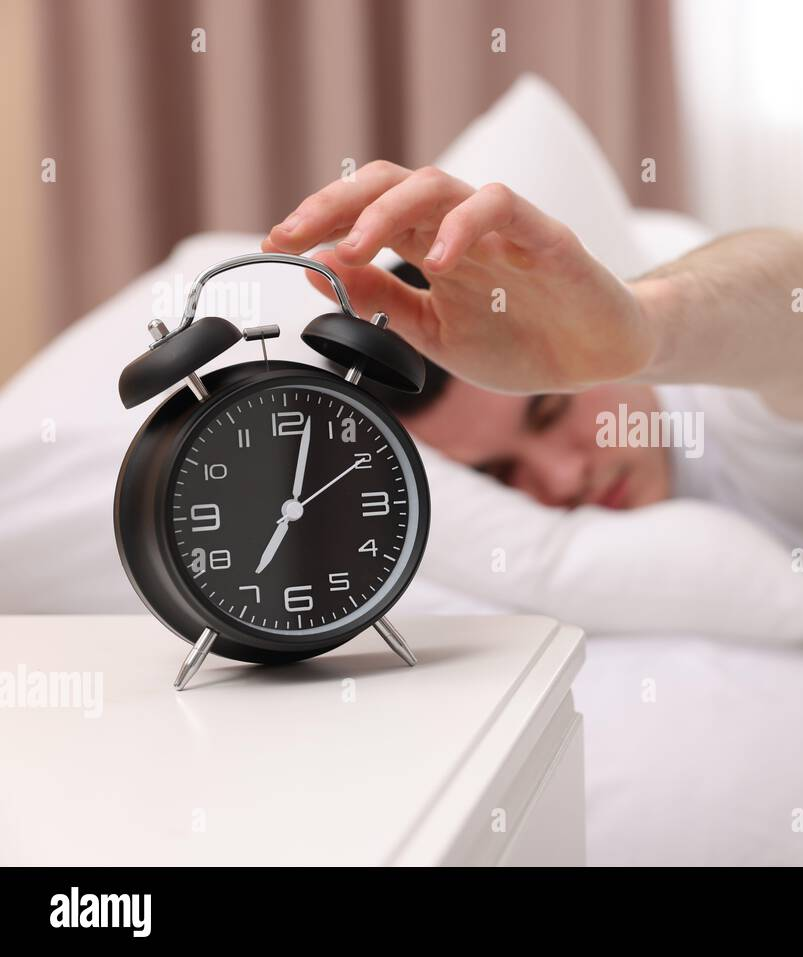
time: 7:02
